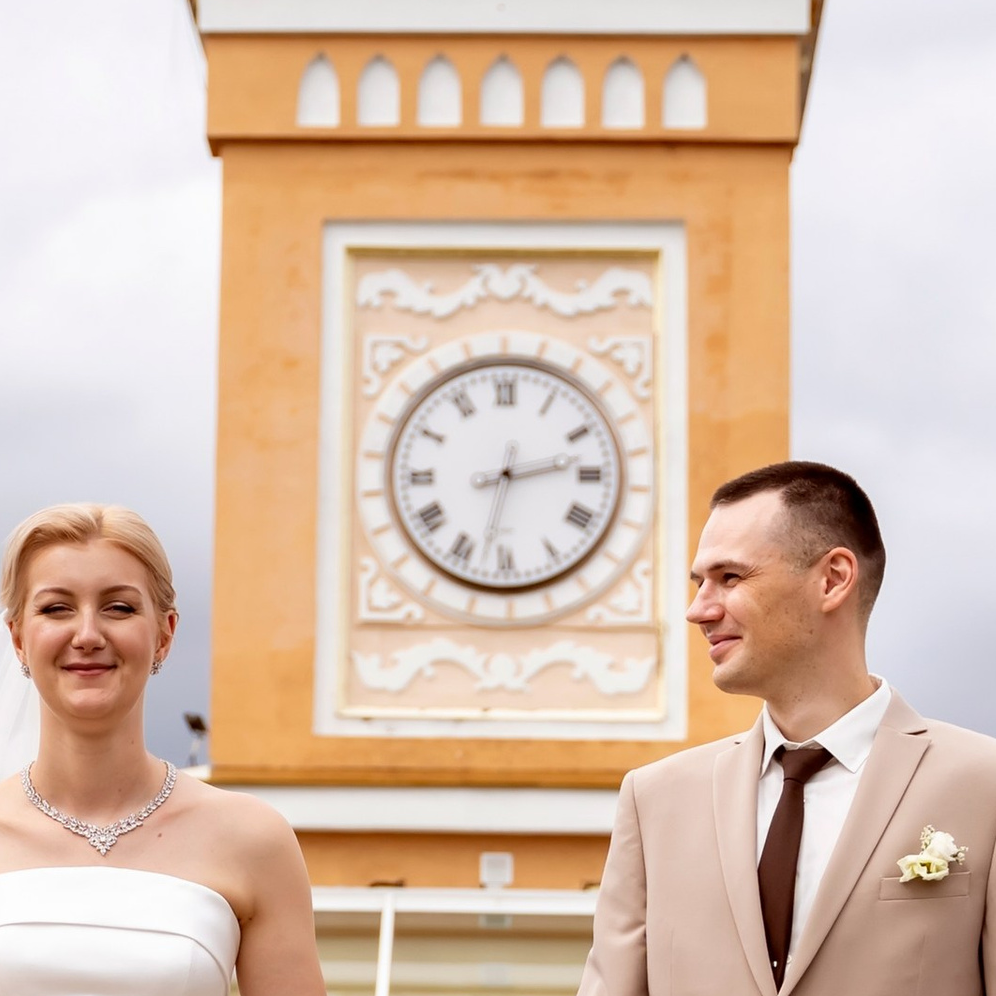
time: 2:32
